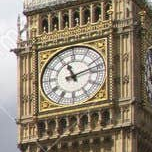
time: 11:12
